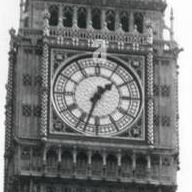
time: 1:33
